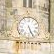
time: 5:26
